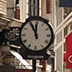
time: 11:55
